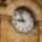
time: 8:57
